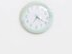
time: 4:20
